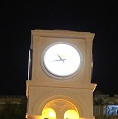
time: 10:43
